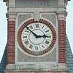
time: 2:52
